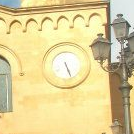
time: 5:26
